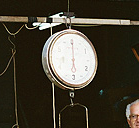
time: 6:00
